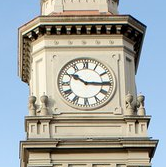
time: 10:15
